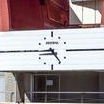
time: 4:44
